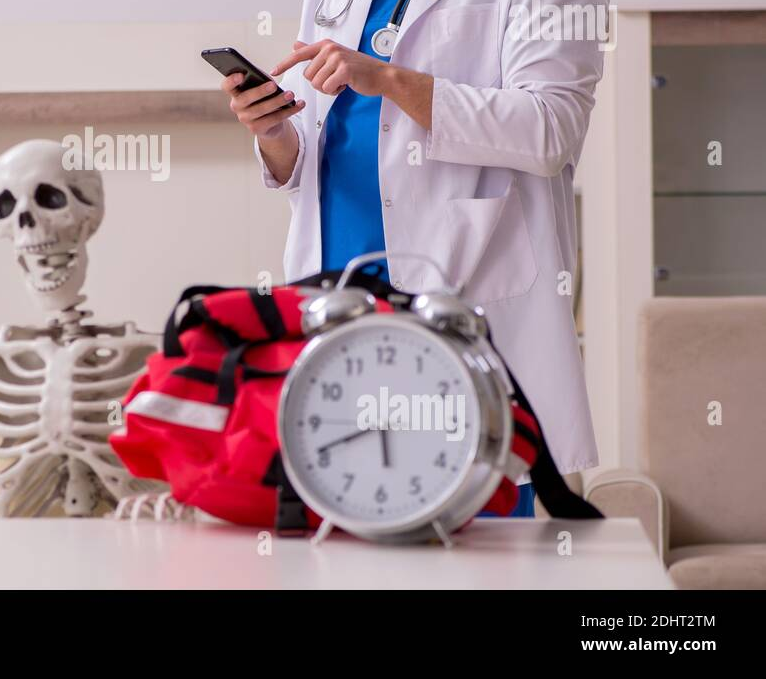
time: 5:41
